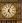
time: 5:03
